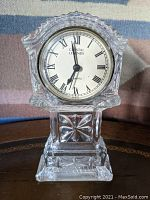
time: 6:58
